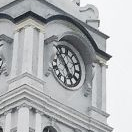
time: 4:52
